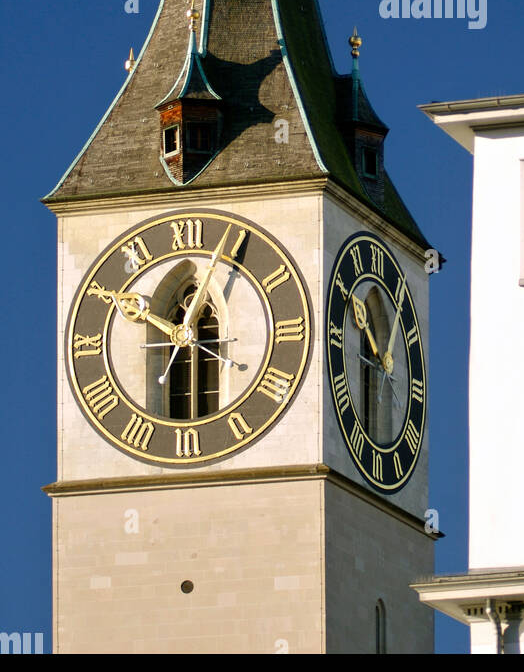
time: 12:50
